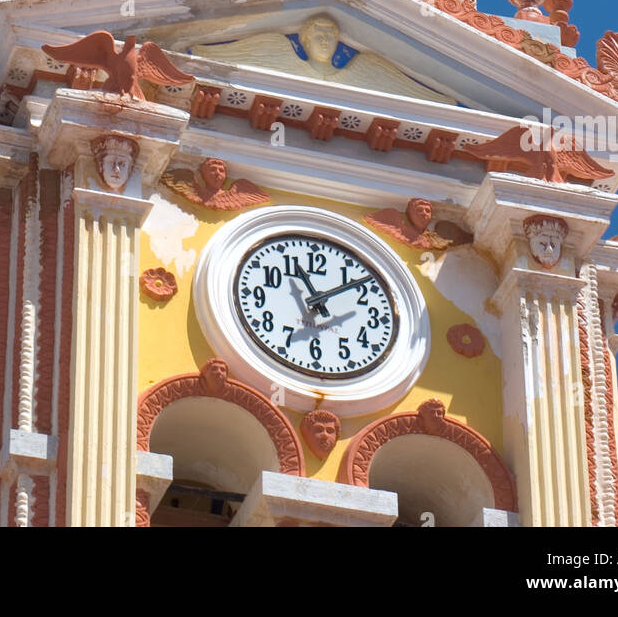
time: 11:08
